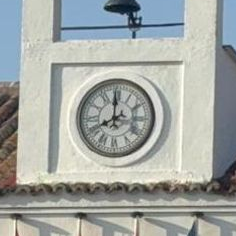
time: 7:59
